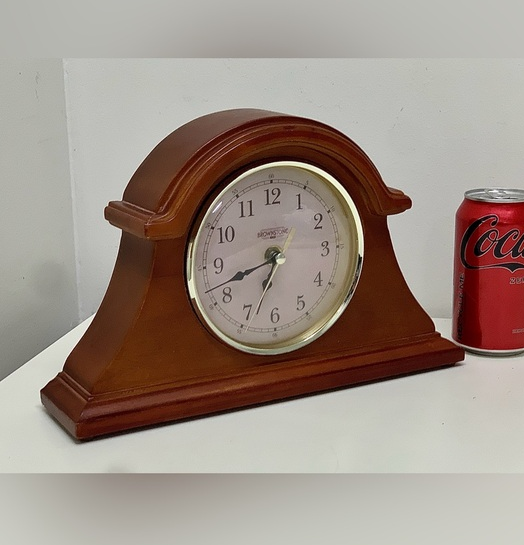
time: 6:41
